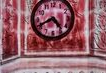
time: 4:40
